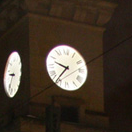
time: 9:36
